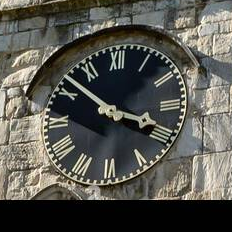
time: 3:52
